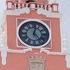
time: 12:23
